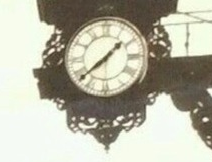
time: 1:38
